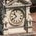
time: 10:39
